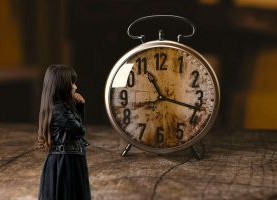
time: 11:17
